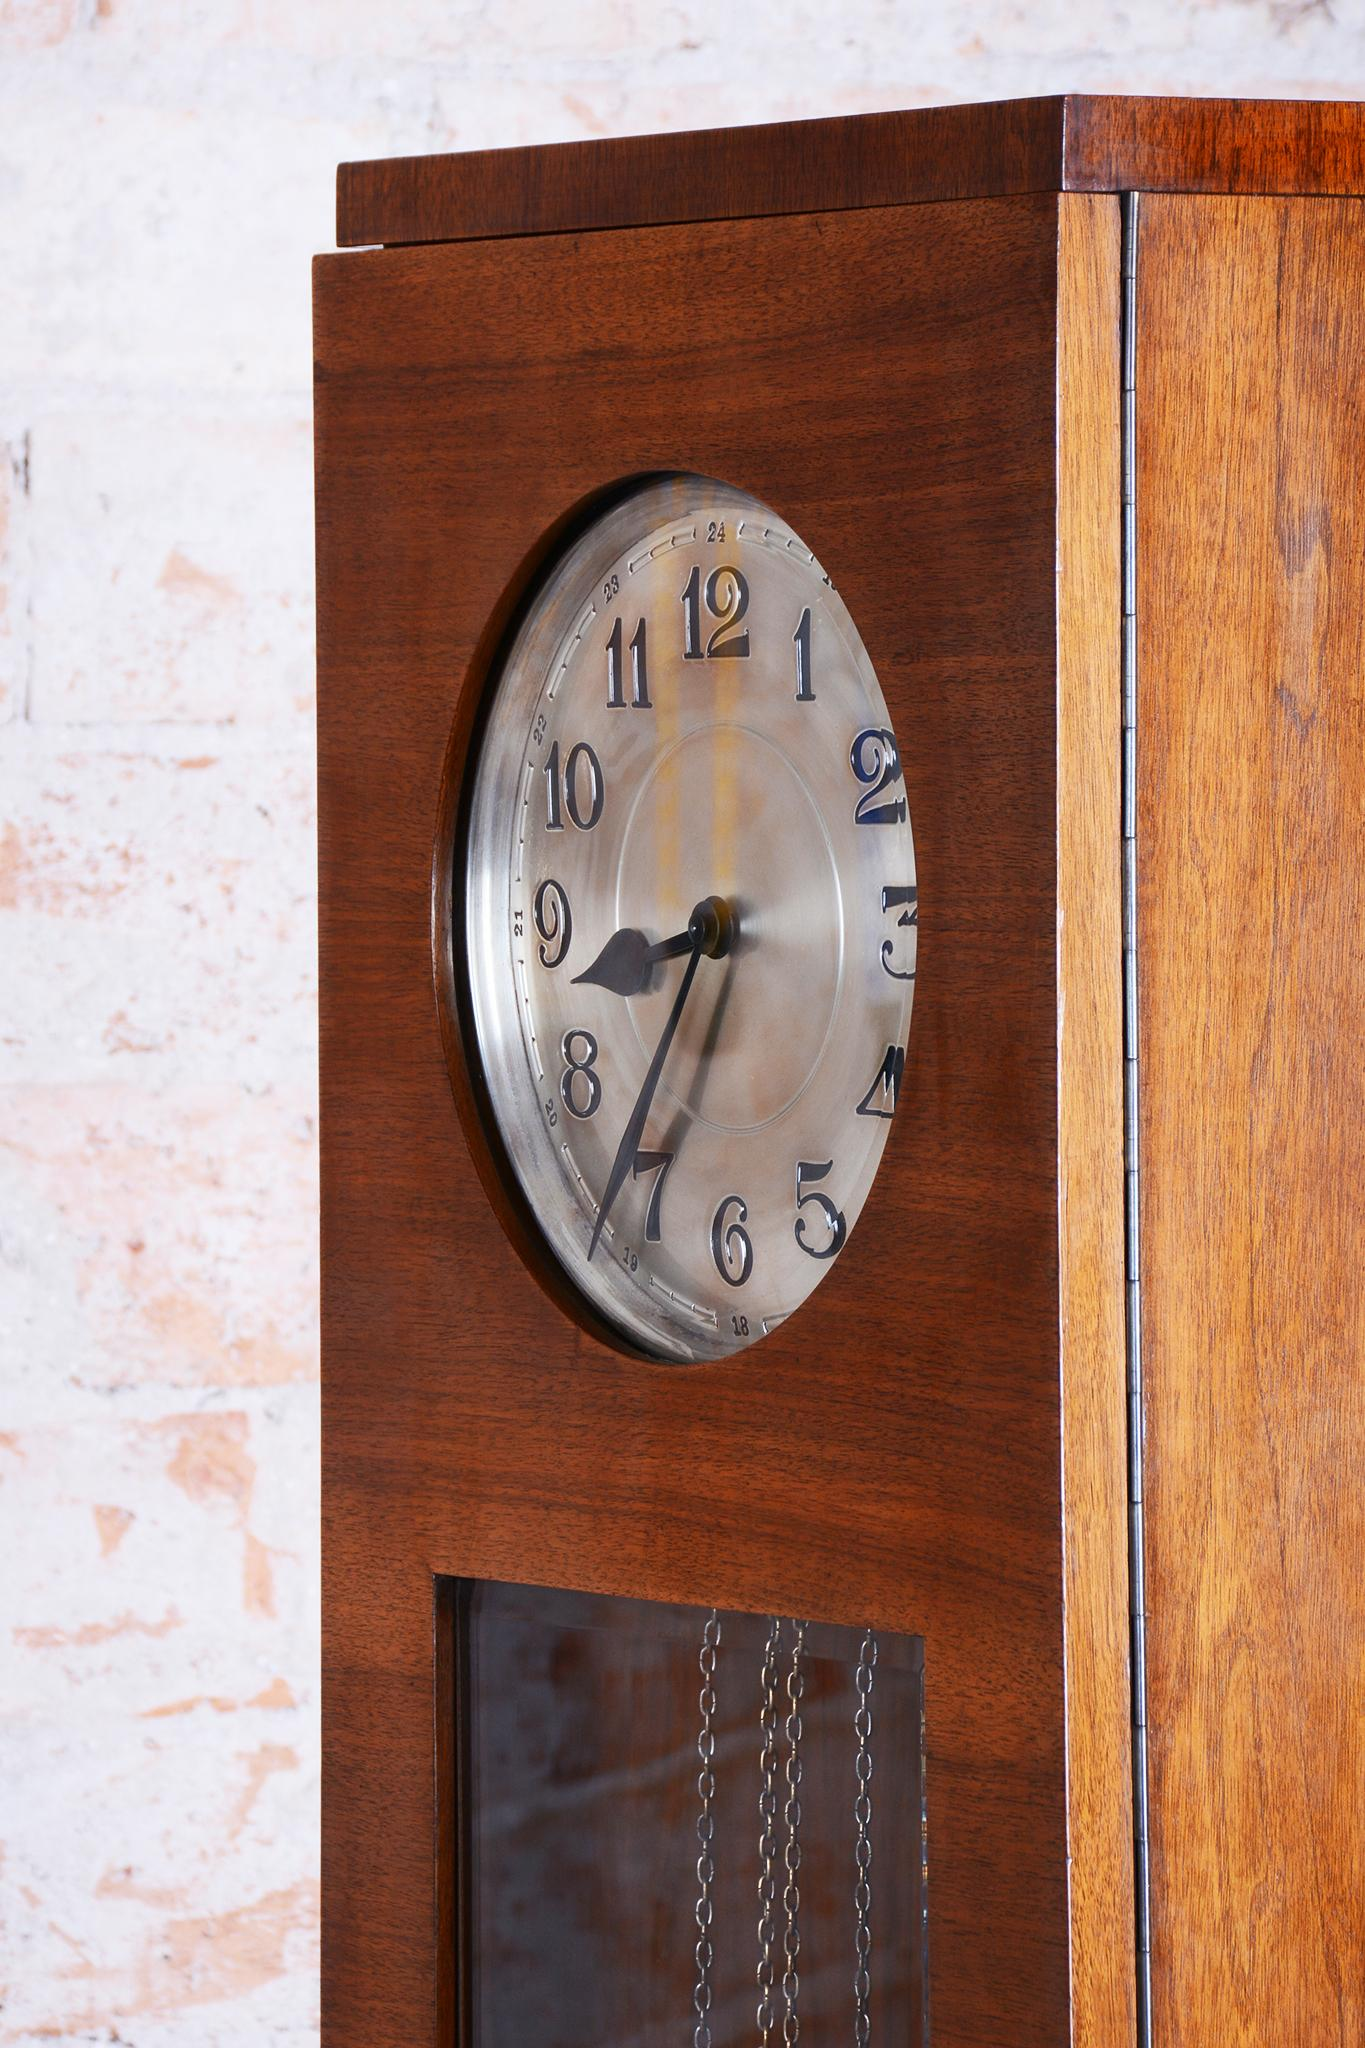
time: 8:36
